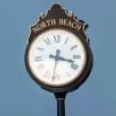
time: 3:31
